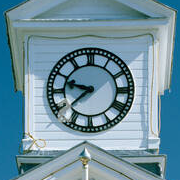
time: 9:38
